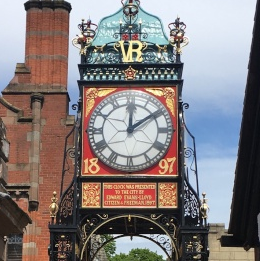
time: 12:09
